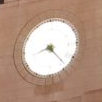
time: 8:23
